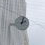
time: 2:01
